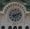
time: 8:11
